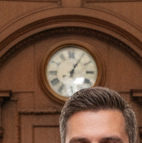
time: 1:05
